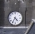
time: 4:35
